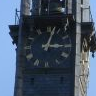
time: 3:02
